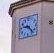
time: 9:23
